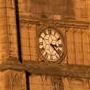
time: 3:22
